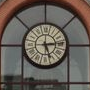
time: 5:14
